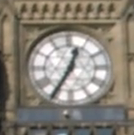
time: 12:35
